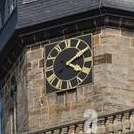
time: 4:09
